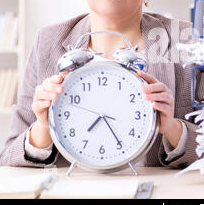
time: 7:24
